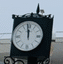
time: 11:58
